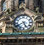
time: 5:40
